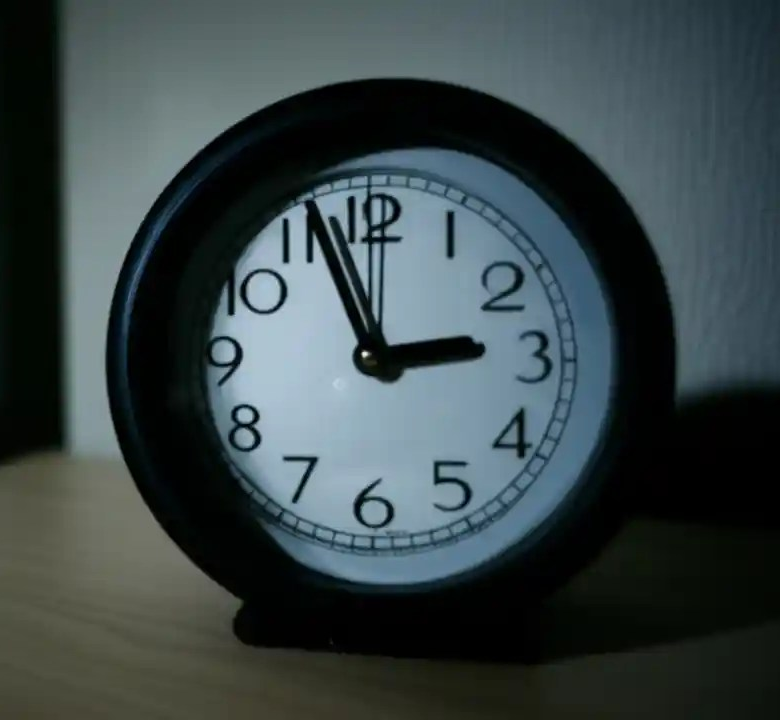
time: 2:56
